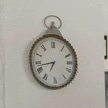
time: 6:42
